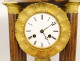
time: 5:09
